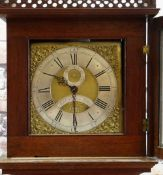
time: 10:30
